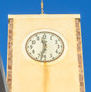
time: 11:32
